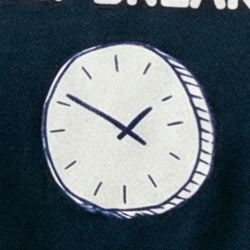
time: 1:50
